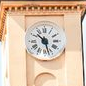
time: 10:27
